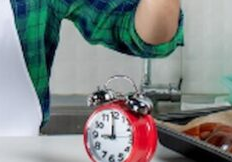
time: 8:59
